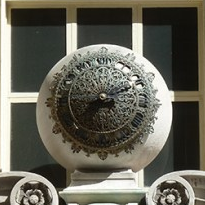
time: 8:11
